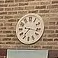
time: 7:16
